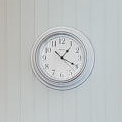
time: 1:19
